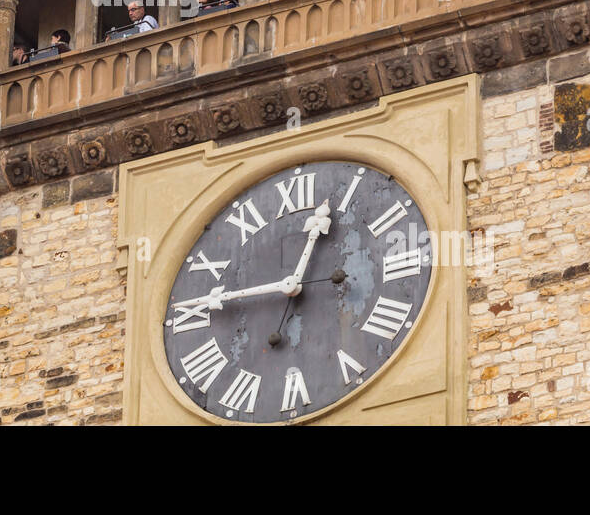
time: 12:46
